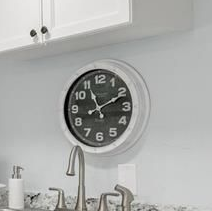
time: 11:11
